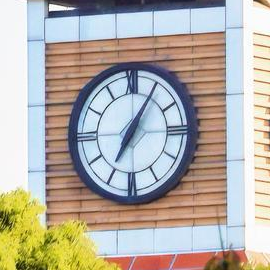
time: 7:05
